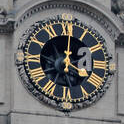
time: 4:01
